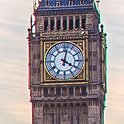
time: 4:02
